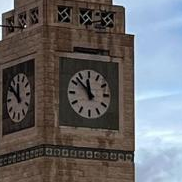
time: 11:52
